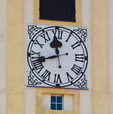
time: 11:42
